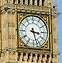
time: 3:27
